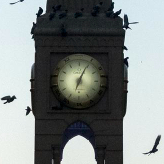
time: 7:04
